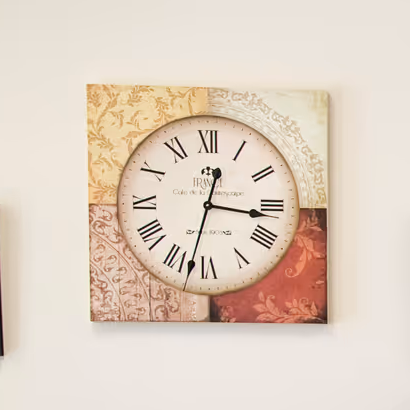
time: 12:32
